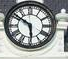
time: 5:51
